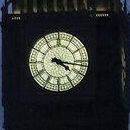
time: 4:16
